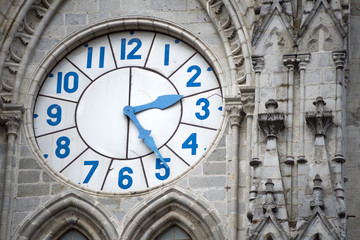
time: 2:24
